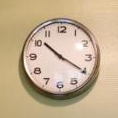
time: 10:20
